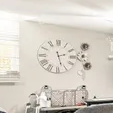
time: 2:27
